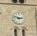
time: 2:48
